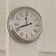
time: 11:41
